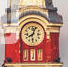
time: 8:03
